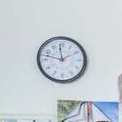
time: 11:47
